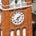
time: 6:08
